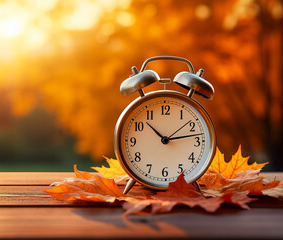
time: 10:13
